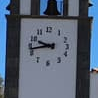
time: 9:42
